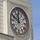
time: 11:49
